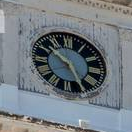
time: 4:50
